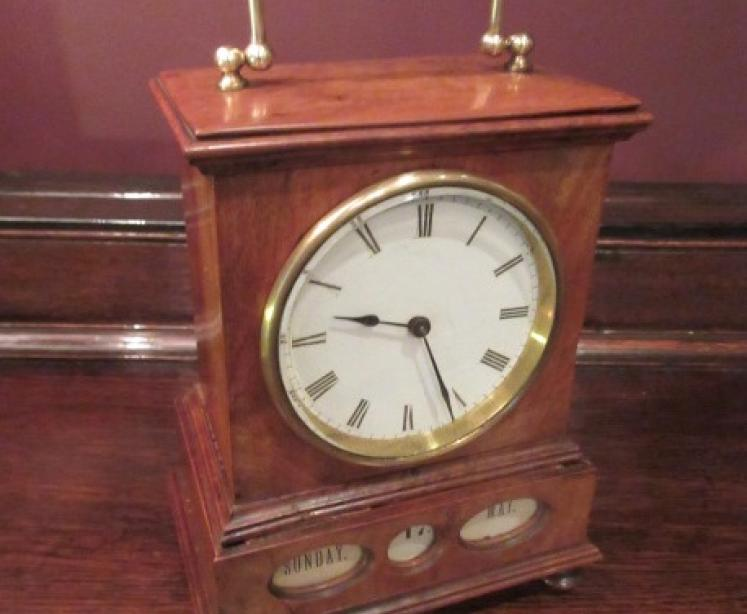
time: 9:25
